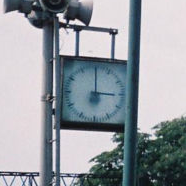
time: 3:00
